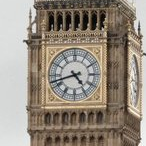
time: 4:42
